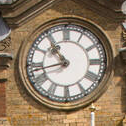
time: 10:42
